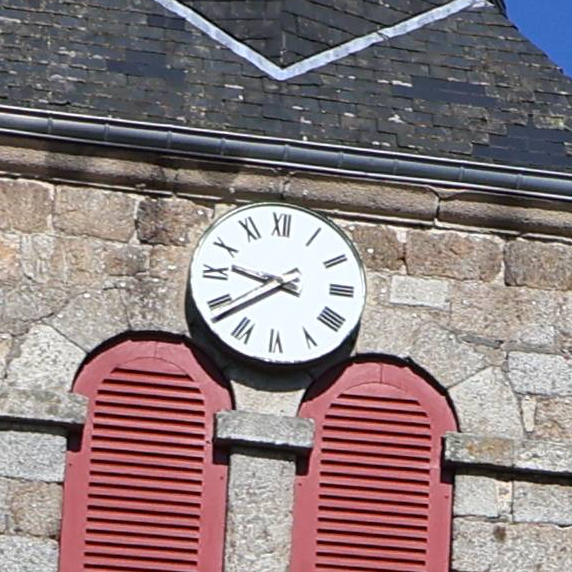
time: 9:38
